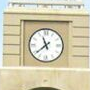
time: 11:38
